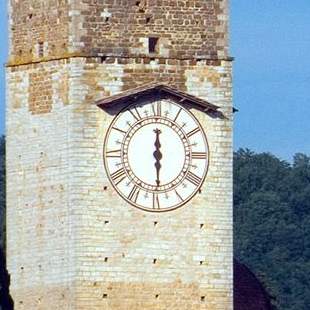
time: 6:00
